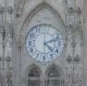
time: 4:12
